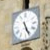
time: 5:26
